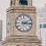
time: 2:15
